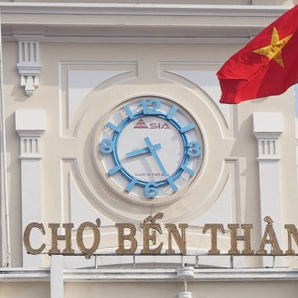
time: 8:25
